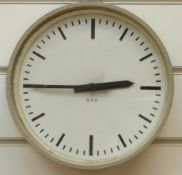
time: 2:45
